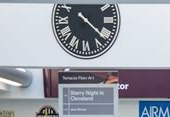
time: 10:21
